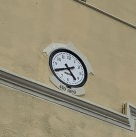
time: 4:40
